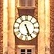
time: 5:26
